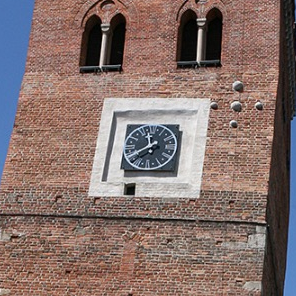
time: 11:40
